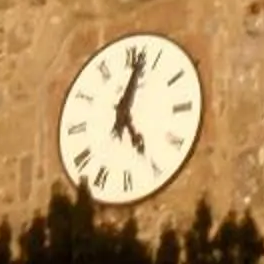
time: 5:02
